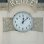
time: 12:07
